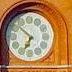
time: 6:51
